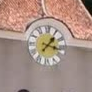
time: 1:16
